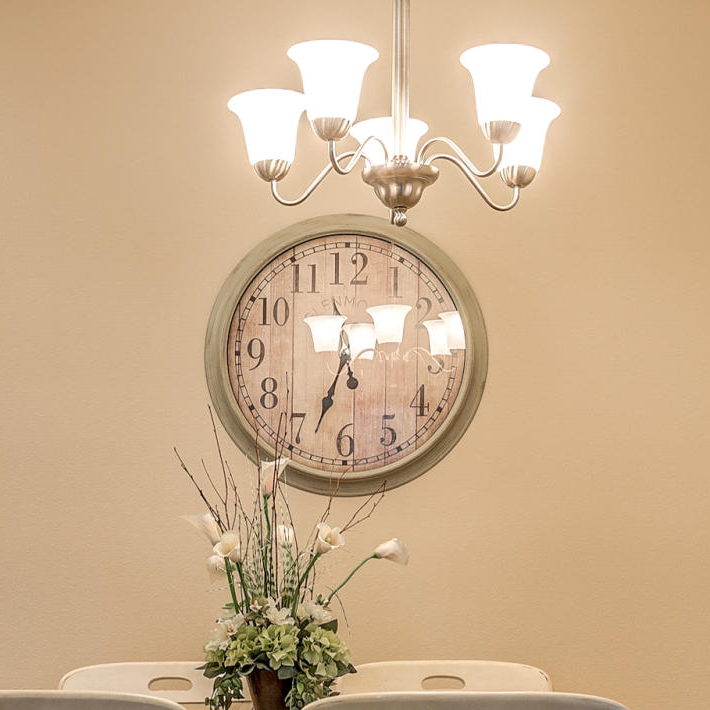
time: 5:33
